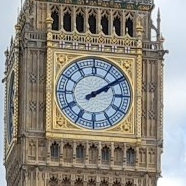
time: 2:09
